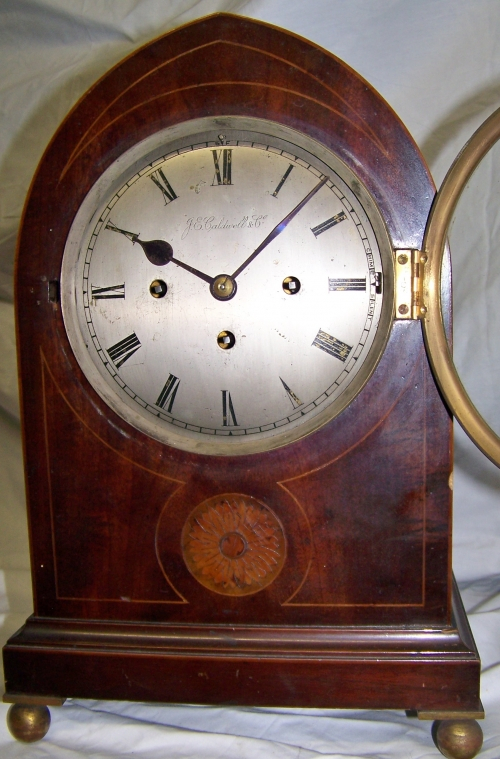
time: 10:07
